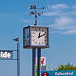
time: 12:10
